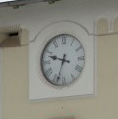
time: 9:33
